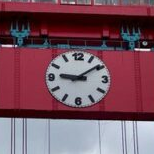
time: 9:09
